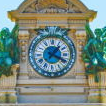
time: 1:18
